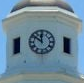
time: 11:51
